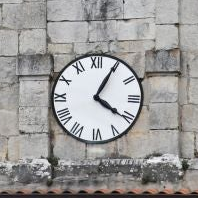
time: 4:04
